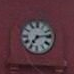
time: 7:13
